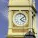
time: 4:08
